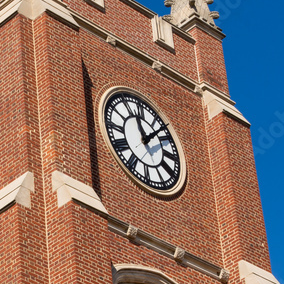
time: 11:07
